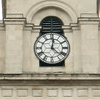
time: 12:22
